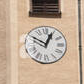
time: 12:49
